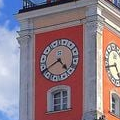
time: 4:40
